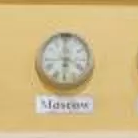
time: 5:59
